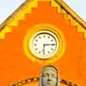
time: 6:14
